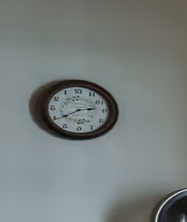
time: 2:39
